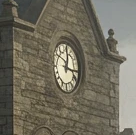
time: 12:16
